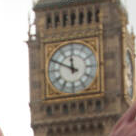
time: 11:49
